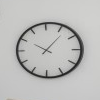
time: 10:06
